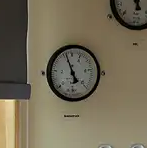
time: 4:56
